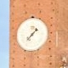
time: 1:37
